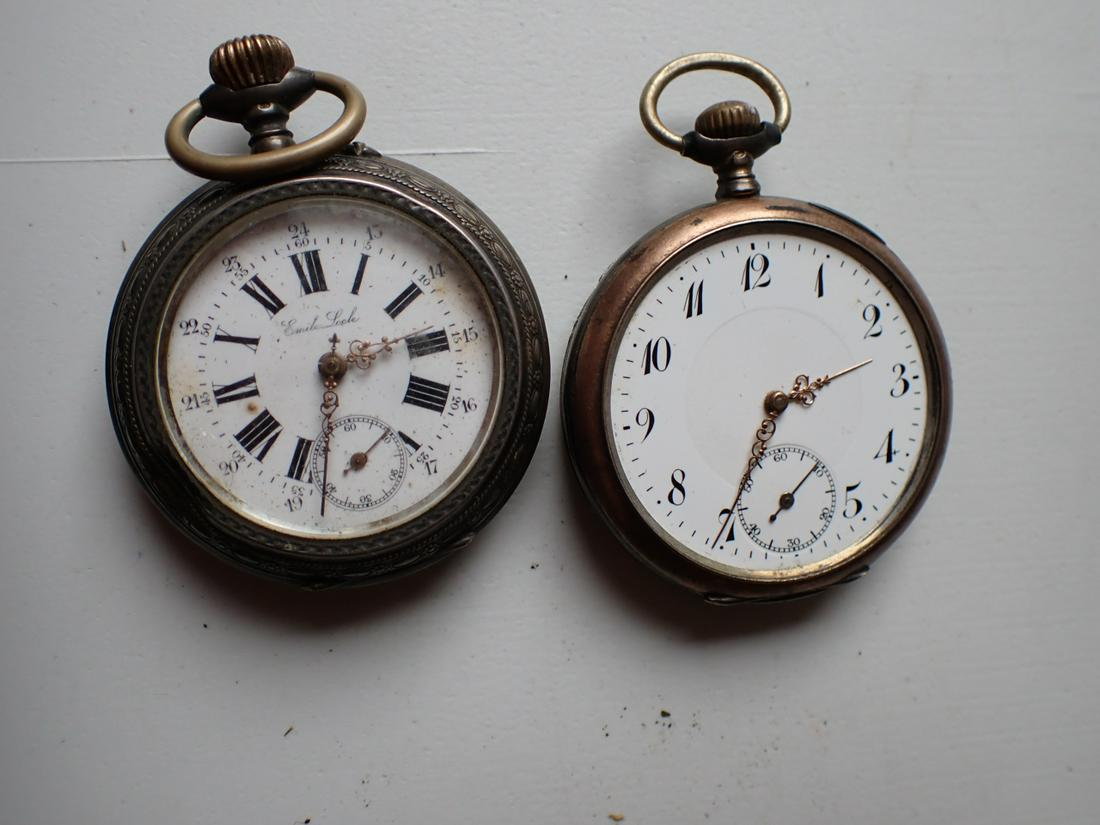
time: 2:35
